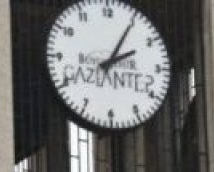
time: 2:05
